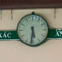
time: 5:31
